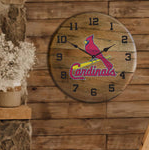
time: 1:50
